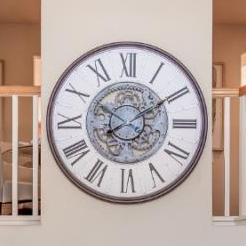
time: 8:09
